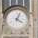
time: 4:04
